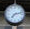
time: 7:12
